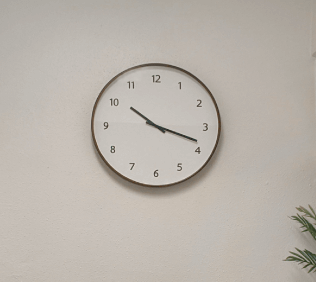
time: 10:18
